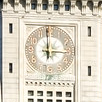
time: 2:59
